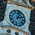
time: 2:02
